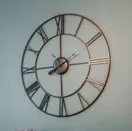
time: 8:00
